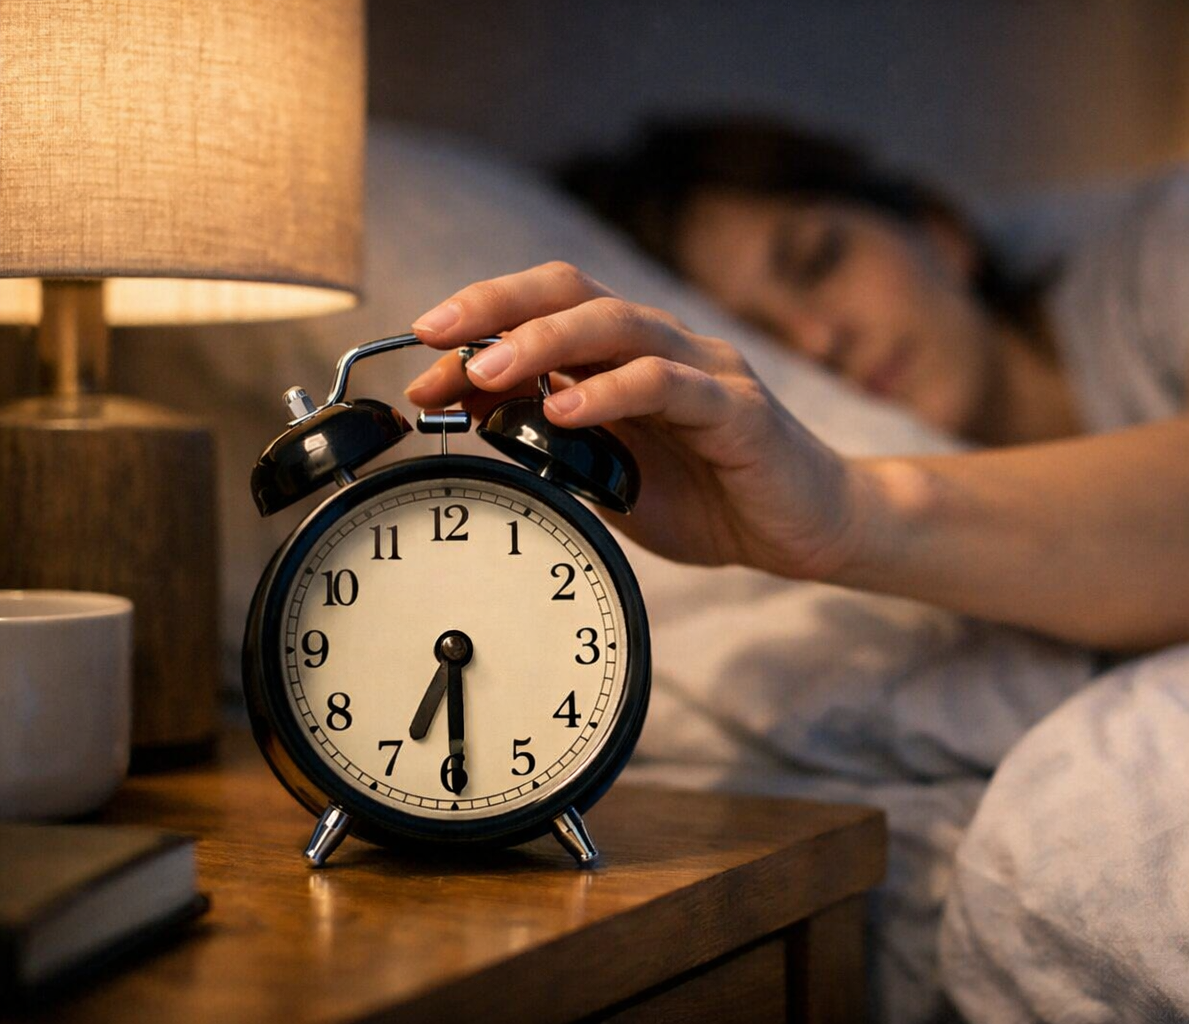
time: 6:29
